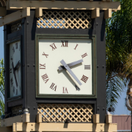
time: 2:24
